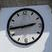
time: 2:44
